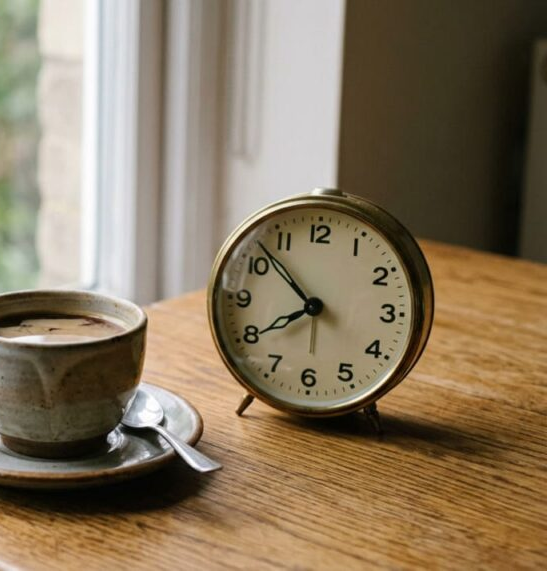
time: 7:52
